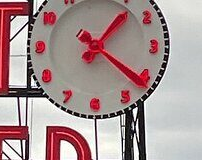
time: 1:21
